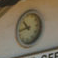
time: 10:43
